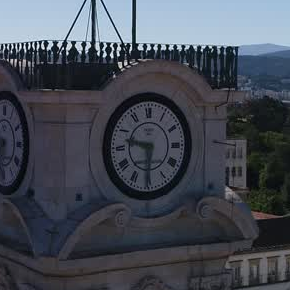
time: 9:30
